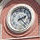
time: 2:22
